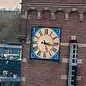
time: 5:16
